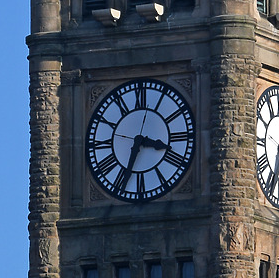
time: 3:33
